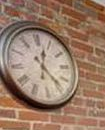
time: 12:23
